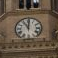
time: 11:00
